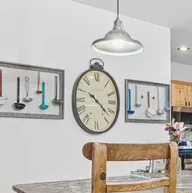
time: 10:21
